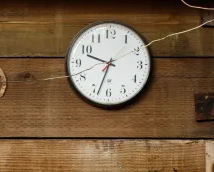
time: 9:33
